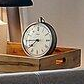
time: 7:44
